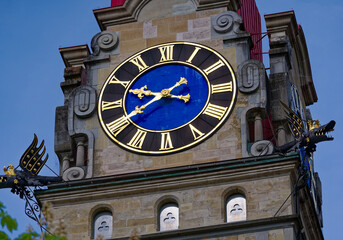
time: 9:40
